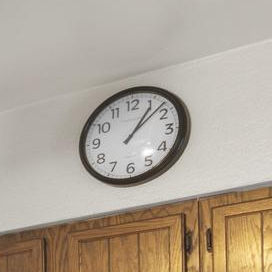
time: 1:07
